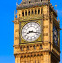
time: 8:17
